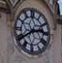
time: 2:40
